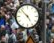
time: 4:52
